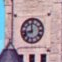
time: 11:42
